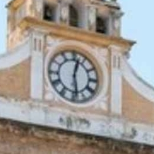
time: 12:28
